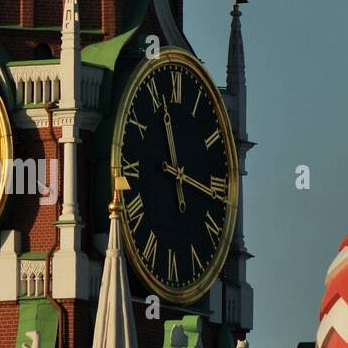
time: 11:16
